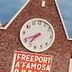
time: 7:41
